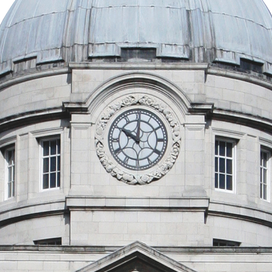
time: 10:00
